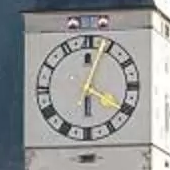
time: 6:03
